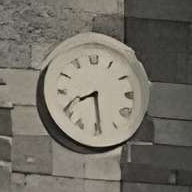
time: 8:29
